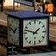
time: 1:47
